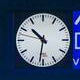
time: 10:31
